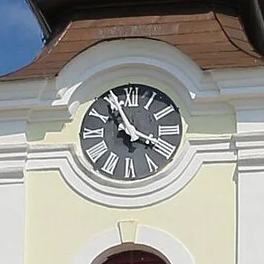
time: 3:55
